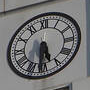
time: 5:31
